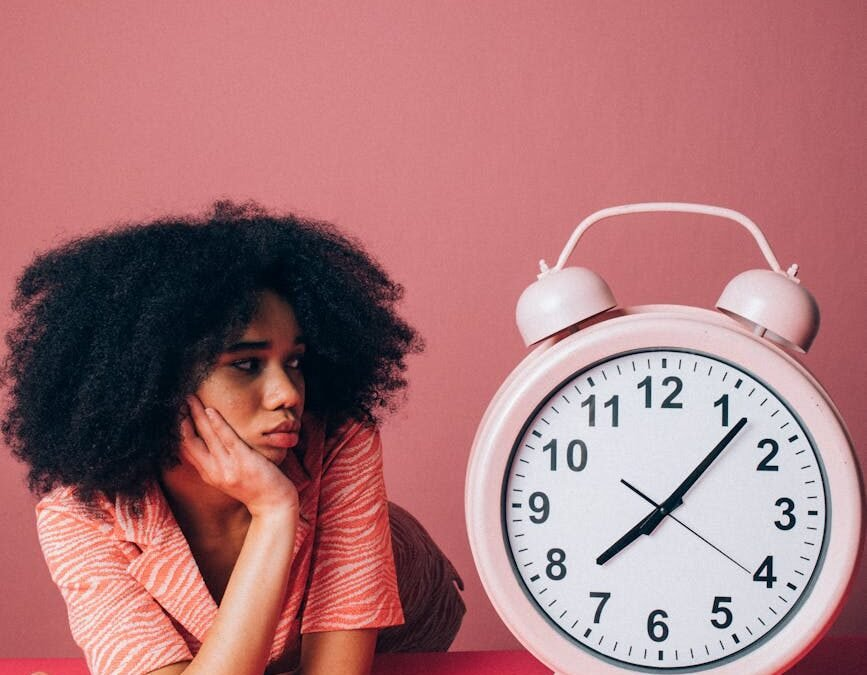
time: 8:07
